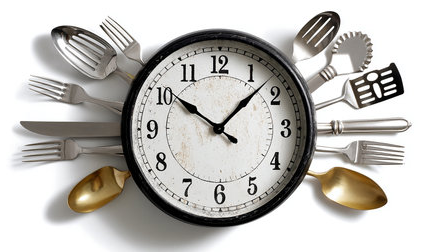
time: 10:07
